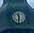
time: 11:31
